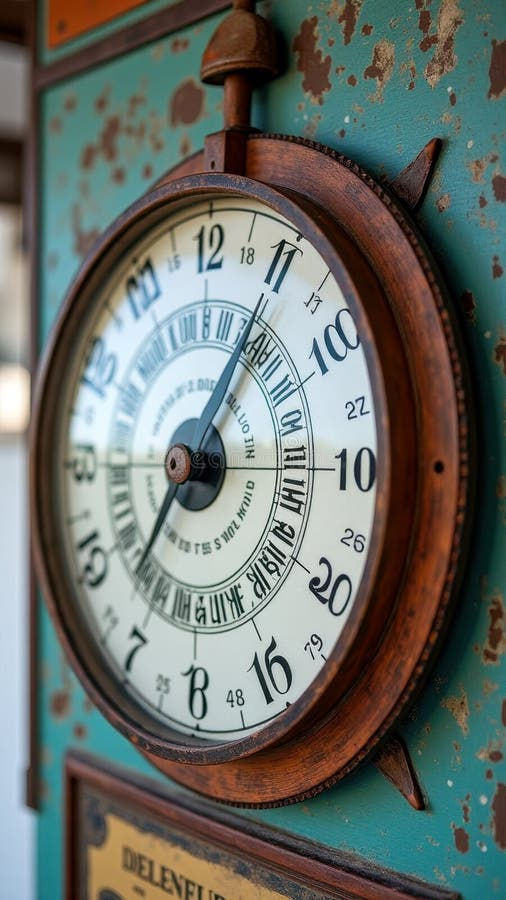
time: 7:05
